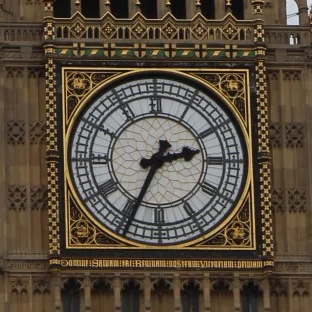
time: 2:34
